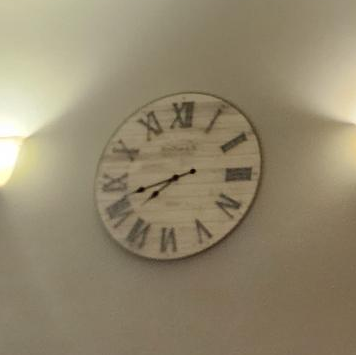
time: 7:42
